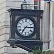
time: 7:14
